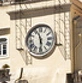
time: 11:29
